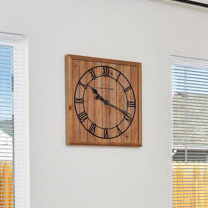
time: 10:18
